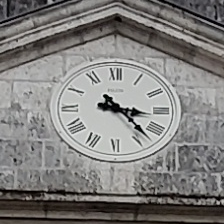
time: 3:22
